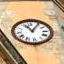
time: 11:05
